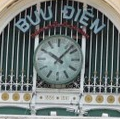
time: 10:07
